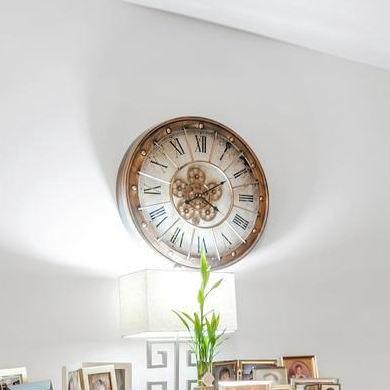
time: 4:10
